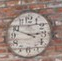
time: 2:48
